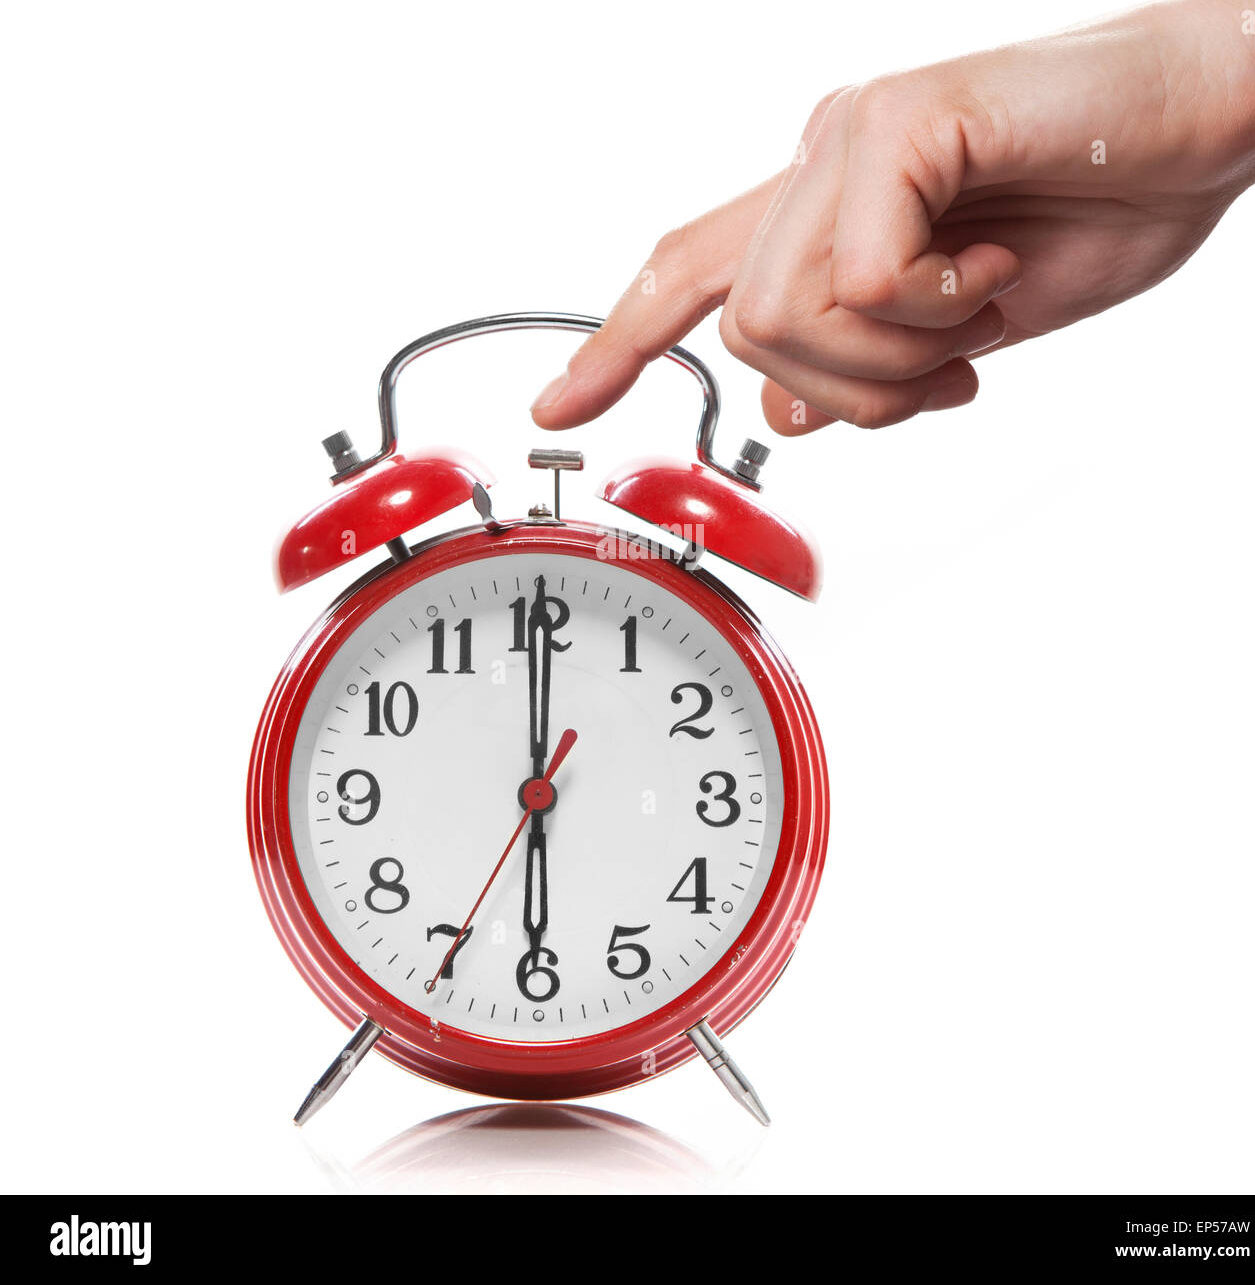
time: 6:00
